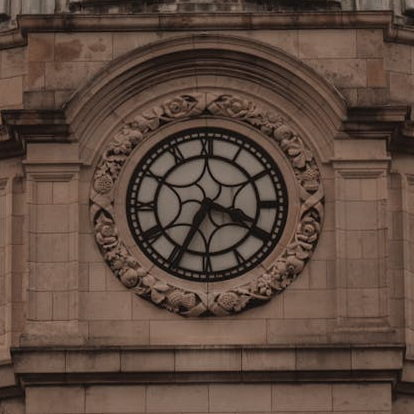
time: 3:34
